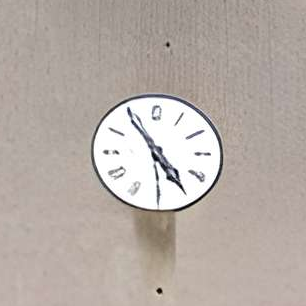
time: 4:54
